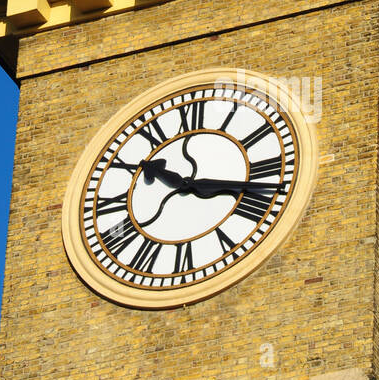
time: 10:17
